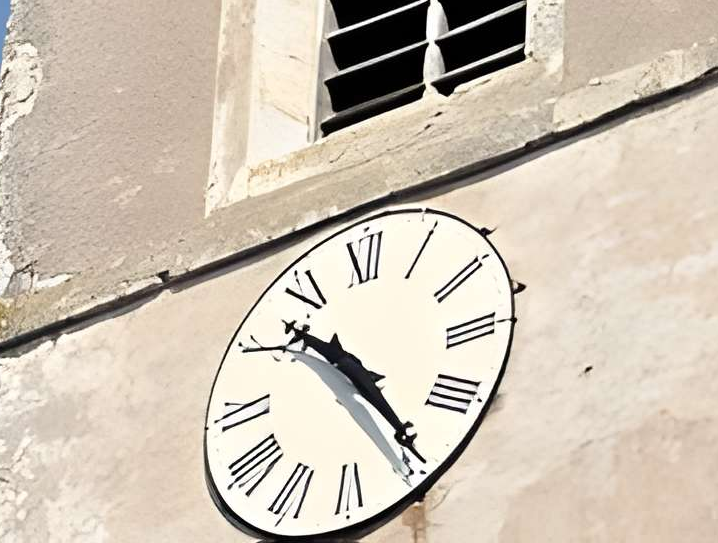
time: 10:24
